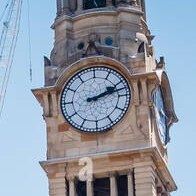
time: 2:12
